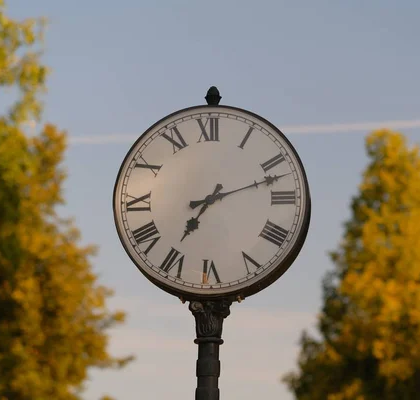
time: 7:12
